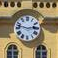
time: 2:47
